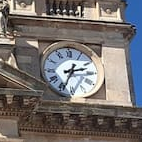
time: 2:34
